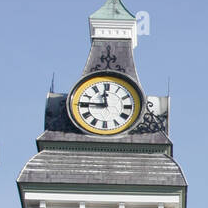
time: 11:45
